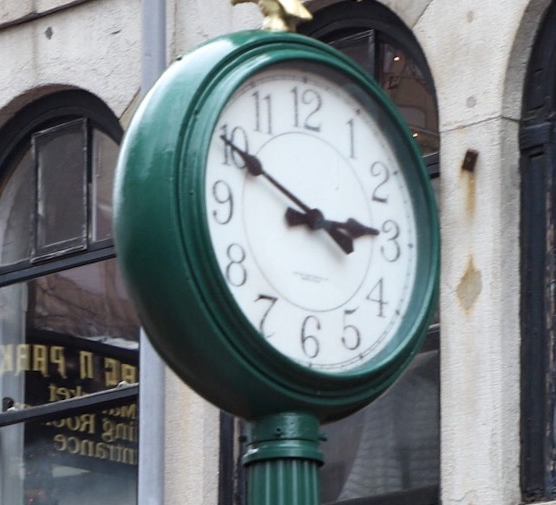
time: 2:49
